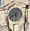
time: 5:40
